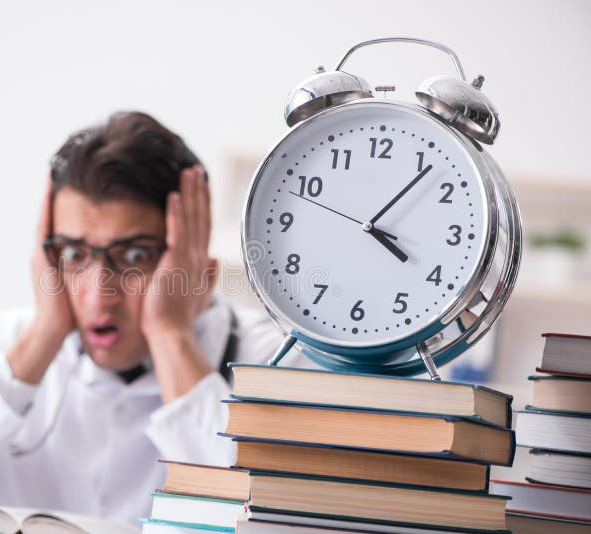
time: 4:06
